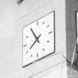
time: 7:54
